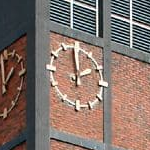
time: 1:59
